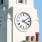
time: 4:10
